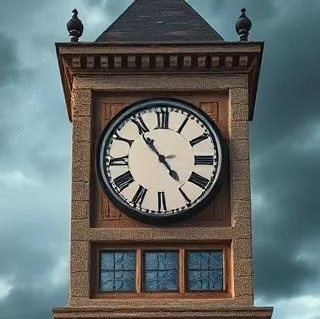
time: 4:53
